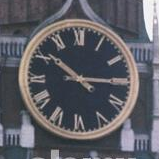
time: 10:14
